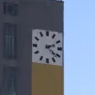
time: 2:21
